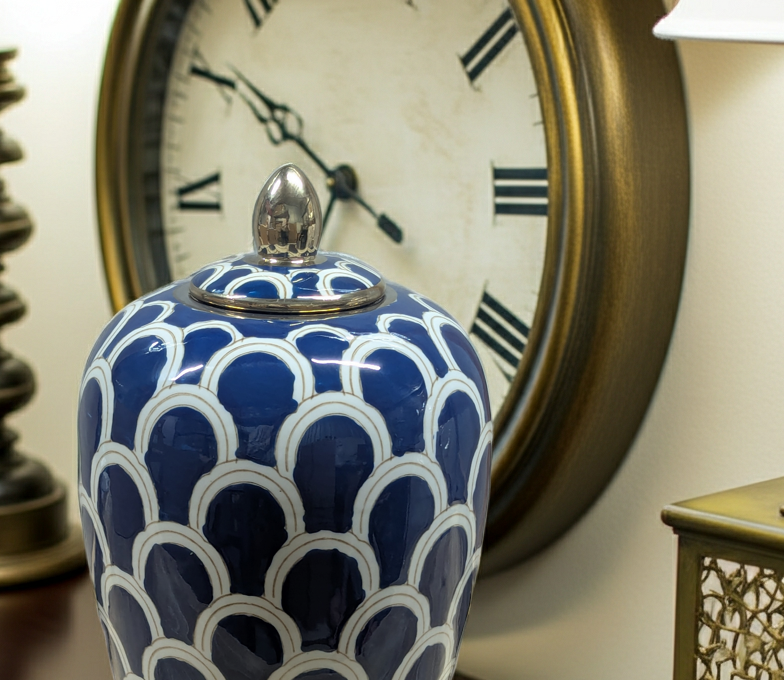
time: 3:51
